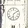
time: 6:08
